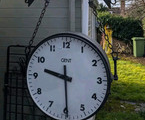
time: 9:29
